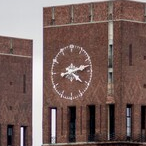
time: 4:12
